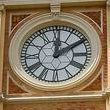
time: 12:09
